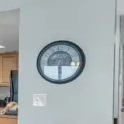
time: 3:29
